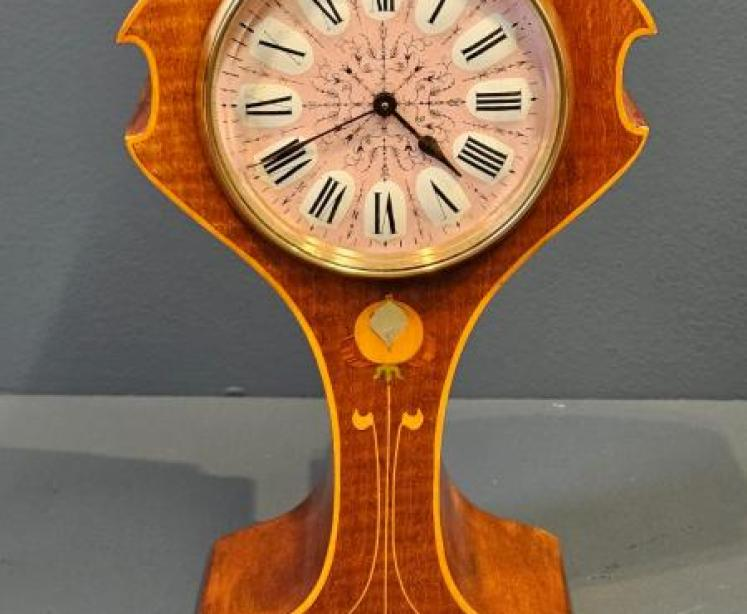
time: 4:40
